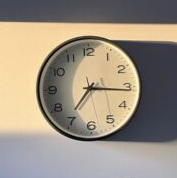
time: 7:15
